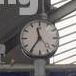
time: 11:35
